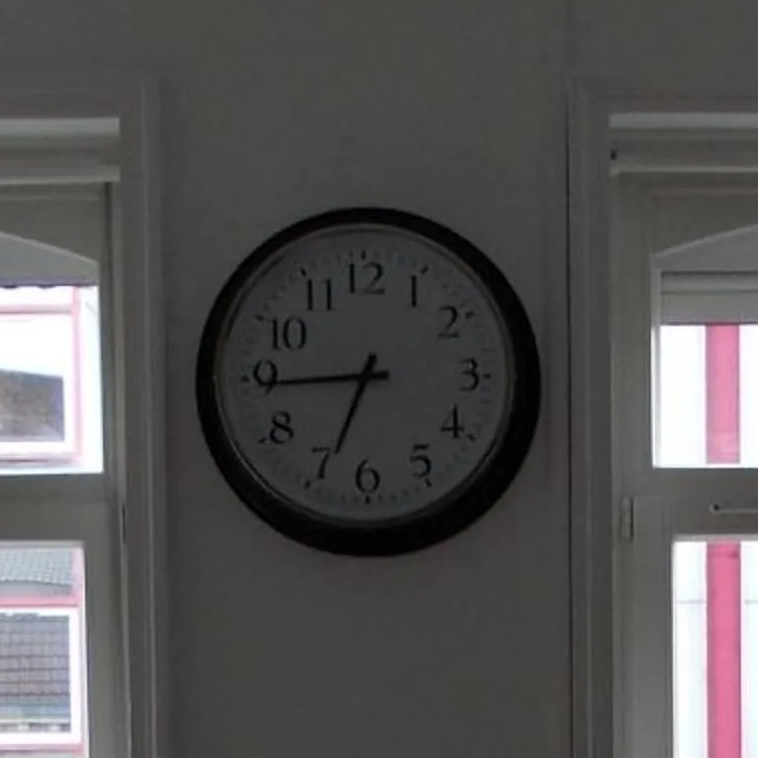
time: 6:44
